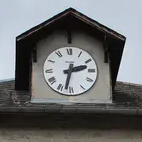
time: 2:32
